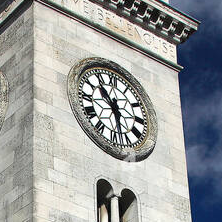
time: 10:28
